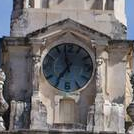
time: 11:36
